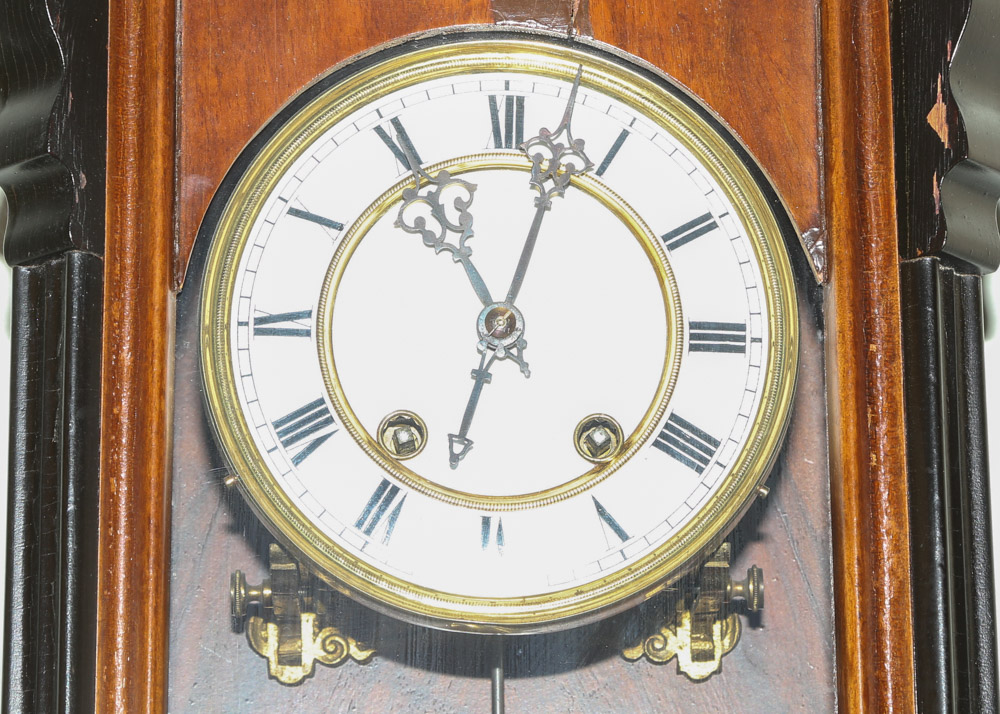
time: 11:02
